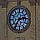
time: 2:36
